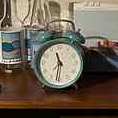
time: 11:32
